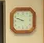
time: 9:48
